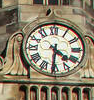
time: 4:31
